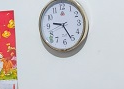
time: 9:25
